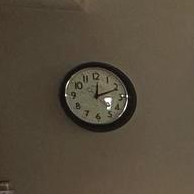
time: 12:11
